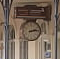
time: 2:13
